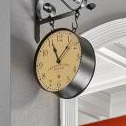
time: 11:07
